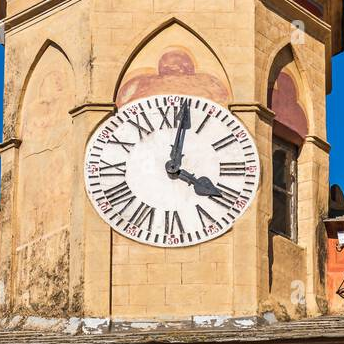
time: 4:02
